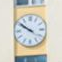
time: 9:50
